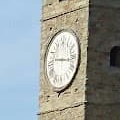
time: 9:16
